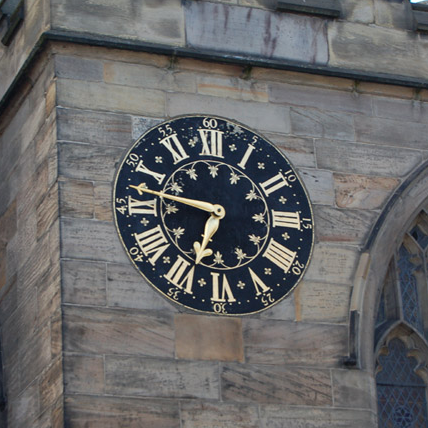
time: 6:47
